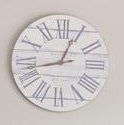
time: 12:42
